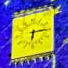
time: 6:15
